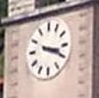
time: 3:19
